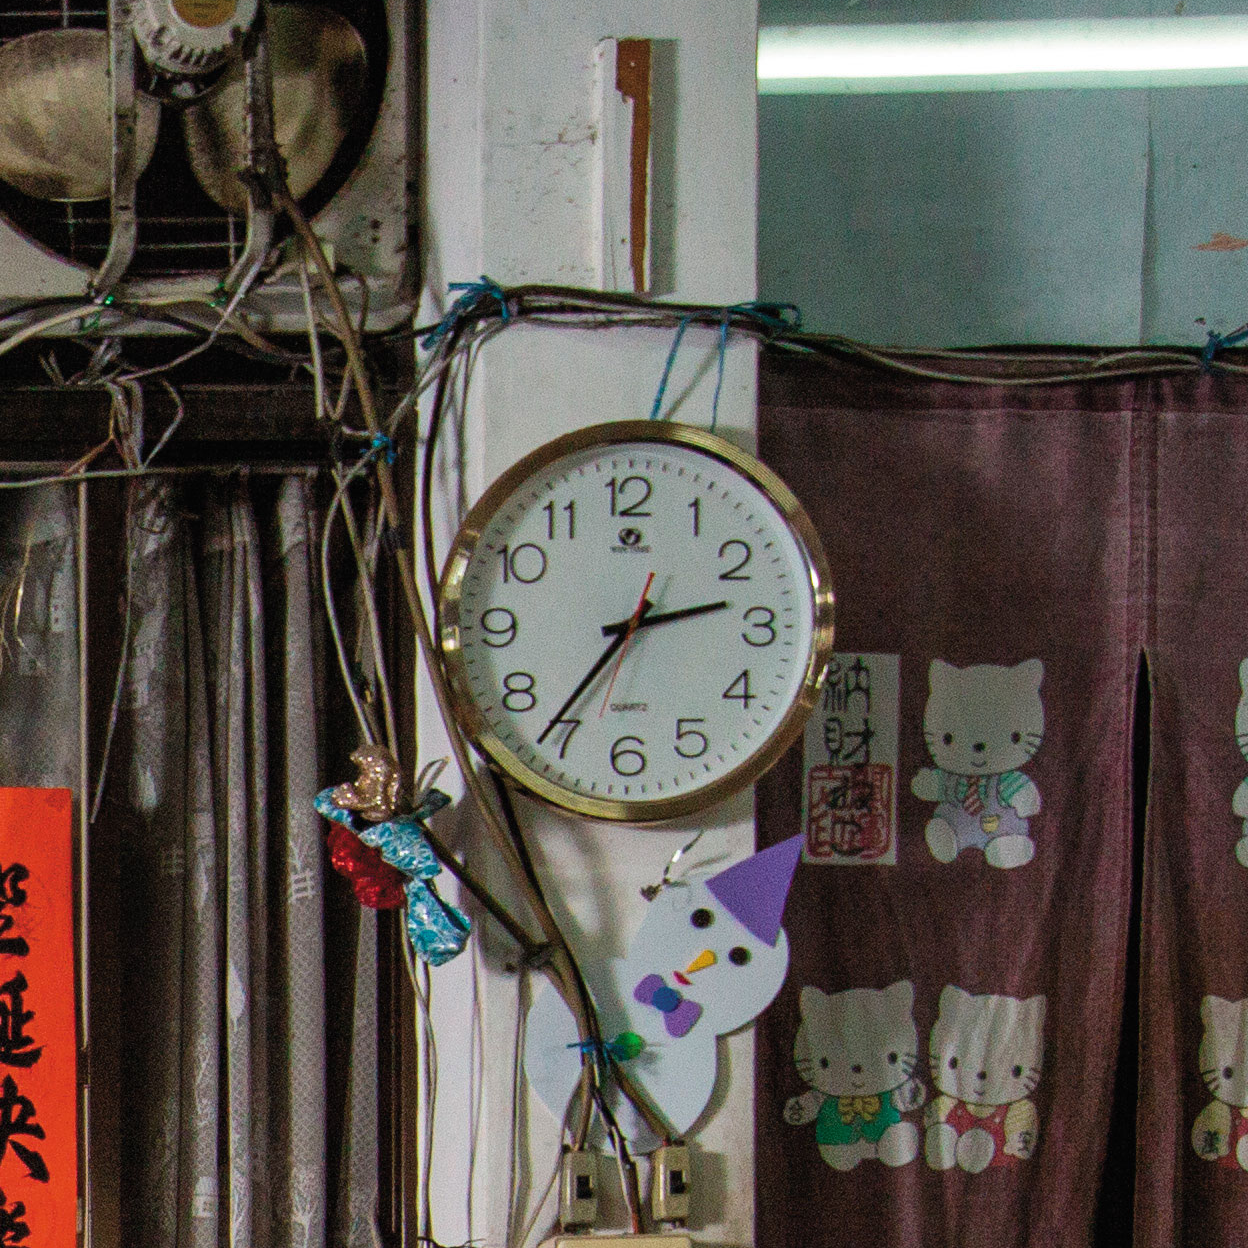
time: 2:36
